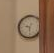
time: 9:28
